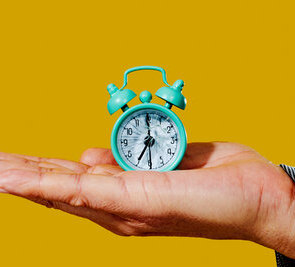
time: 7:00
